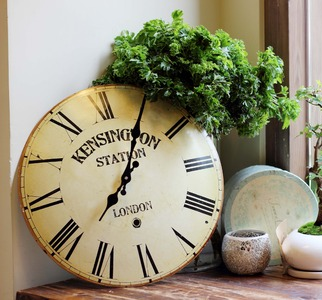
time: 7:00
